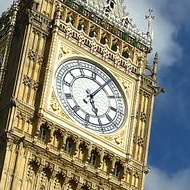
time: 5:05
